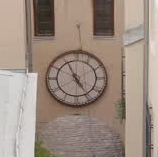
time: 4:55
